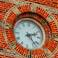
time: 2:23
